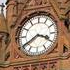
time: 3:39
